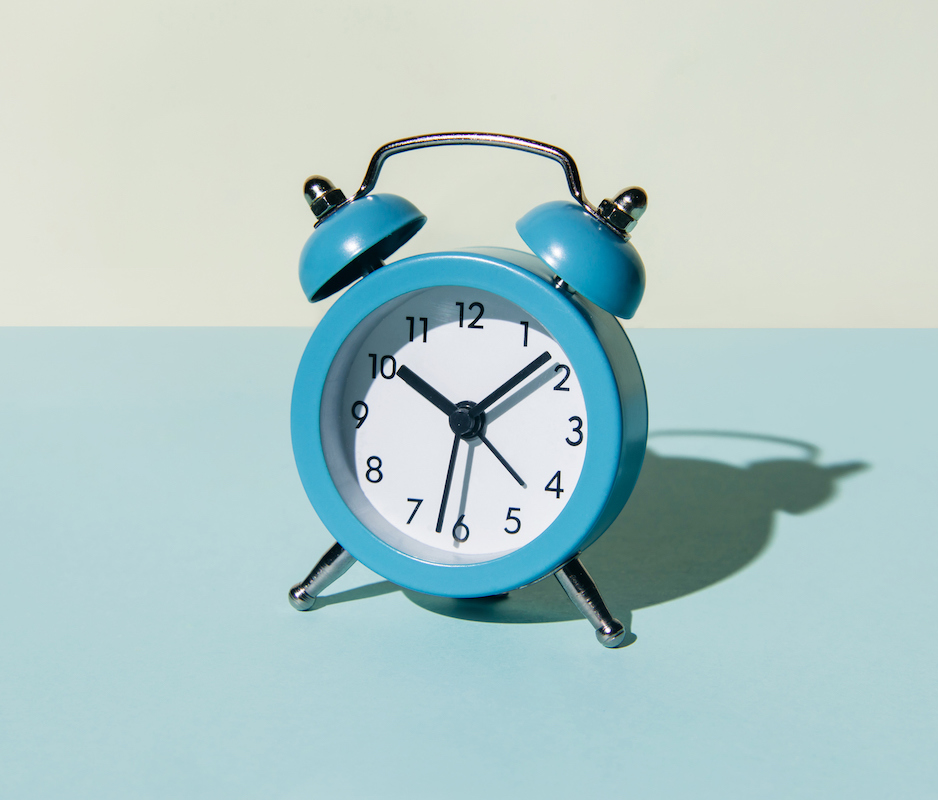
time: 10:08
